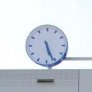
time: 5:26
